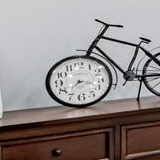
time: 3:37
